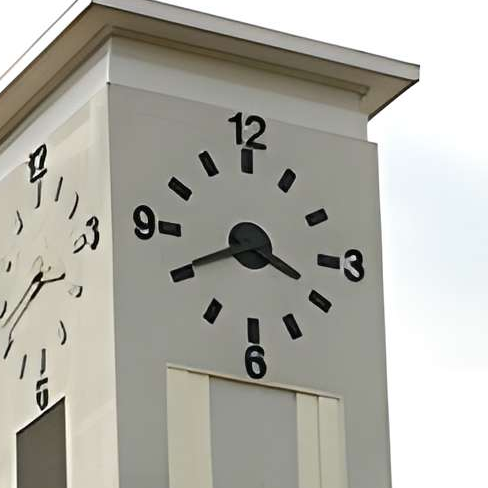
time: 3:40
